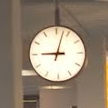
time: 9:02
